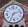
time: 2:34
